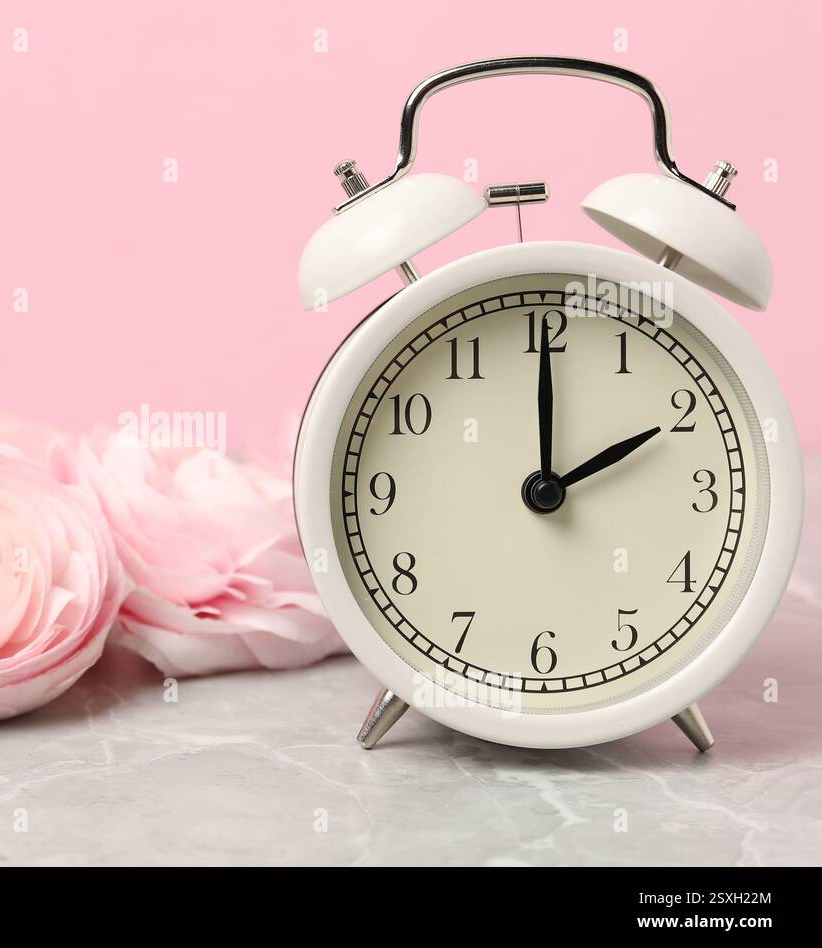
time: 2:00
